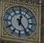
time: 12:23
